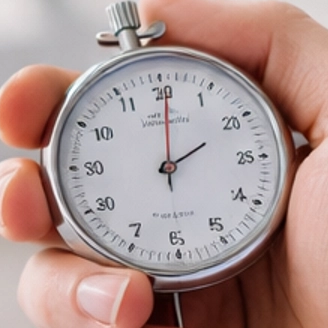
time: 2:00
